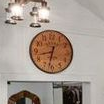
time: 8:32
